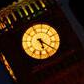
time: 5:19
